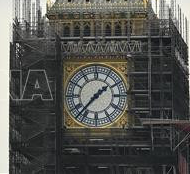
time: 1:37
